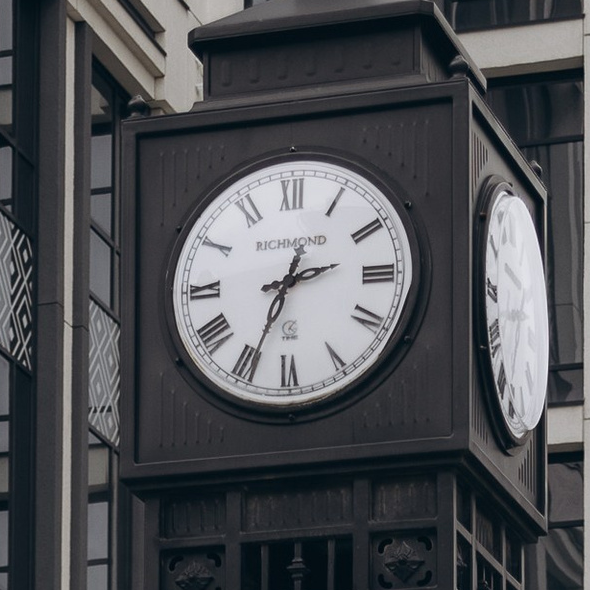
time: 2:34
